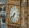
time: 6:38
